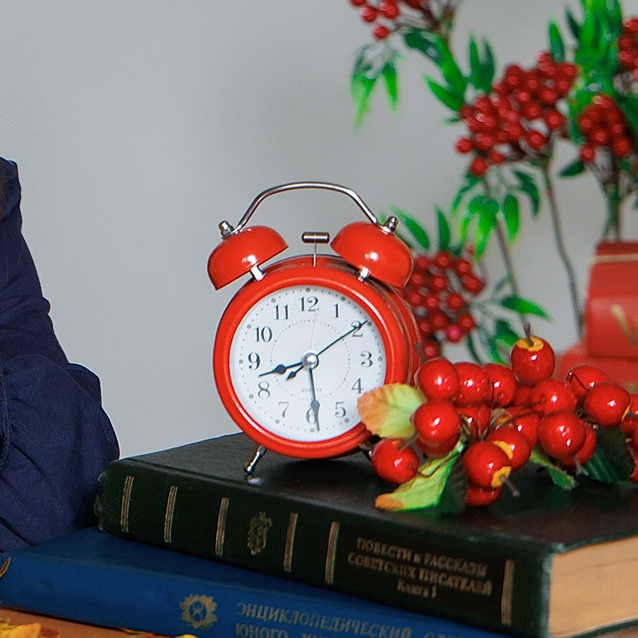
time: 8:29
